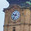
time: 9:36
